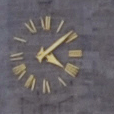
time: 4:08
